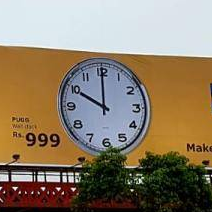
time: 10:00
